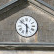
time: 5:51
